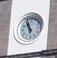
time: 10:56
